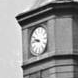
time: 9:45
